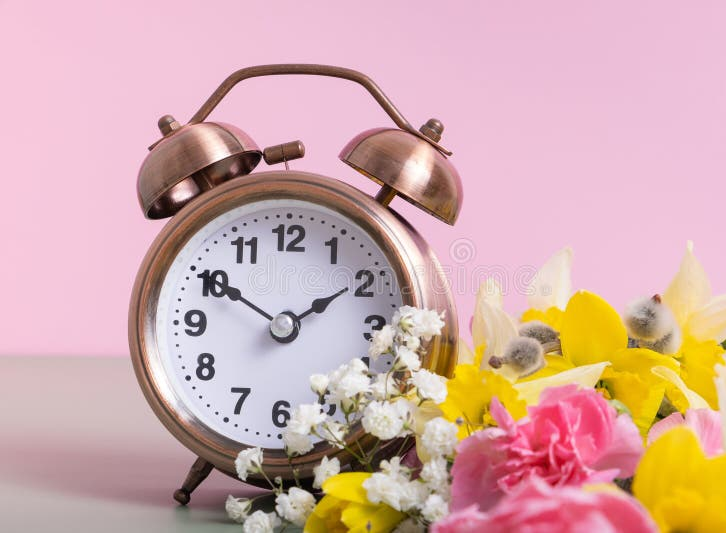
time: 1:50
